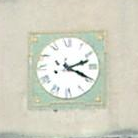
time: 2:19
